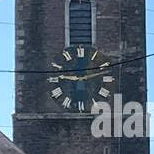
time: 9:12
